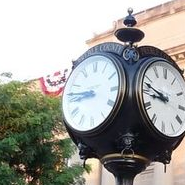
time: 8:46
